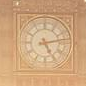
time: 5:13
